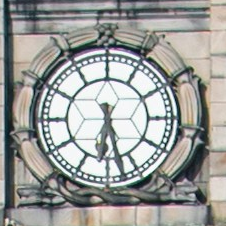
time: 6:27
